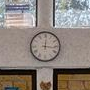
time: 12:16
